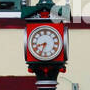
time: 8:33
